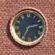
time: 2:34
